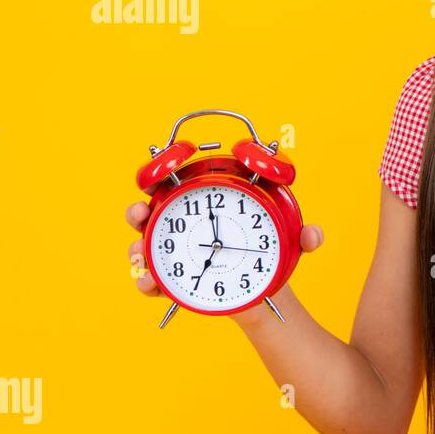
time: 6:58
